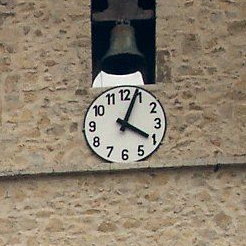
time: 4:03
